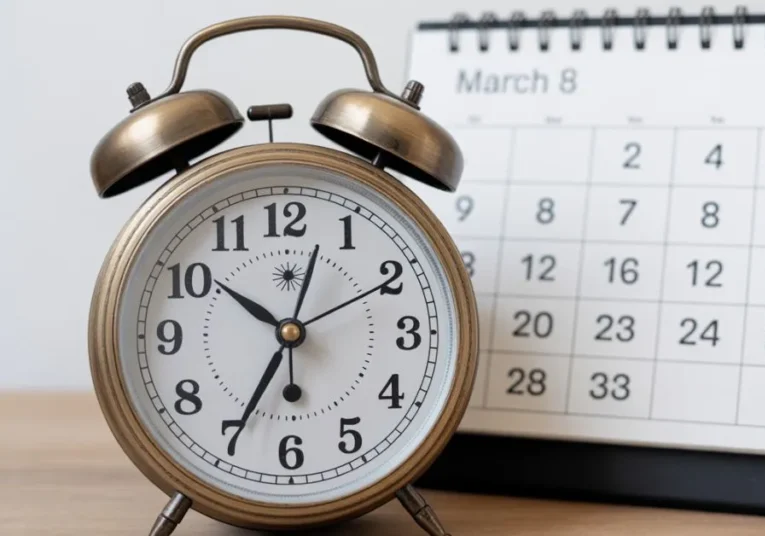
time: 10:34
